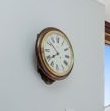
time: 7:51
